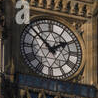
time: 1:52
